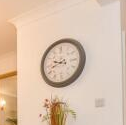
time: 9:42
